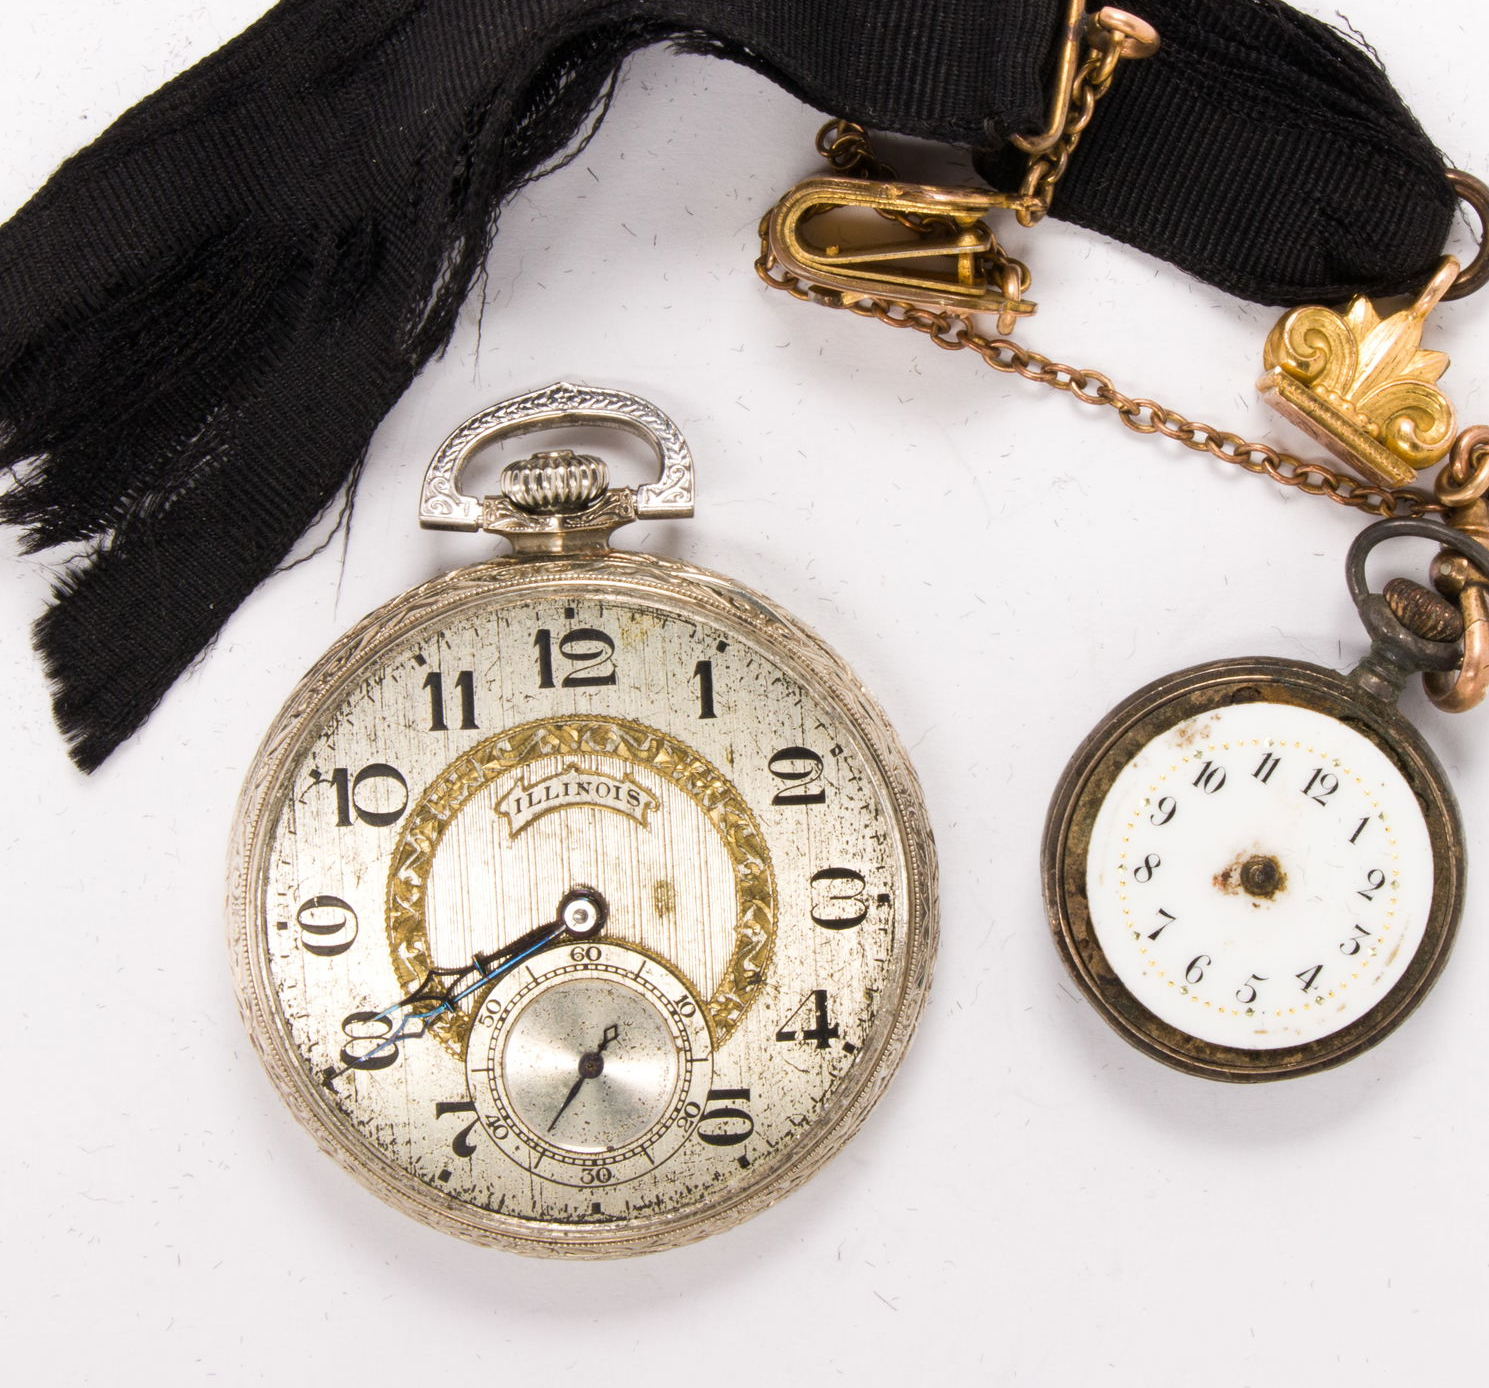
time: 7:40
